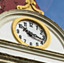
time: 10:17
